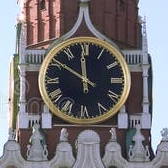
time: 11:50
